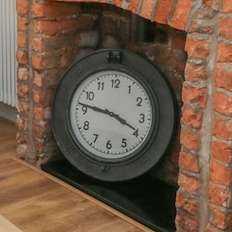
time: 3:46
